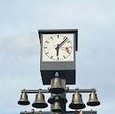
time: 6:07
